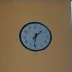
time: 1:31
